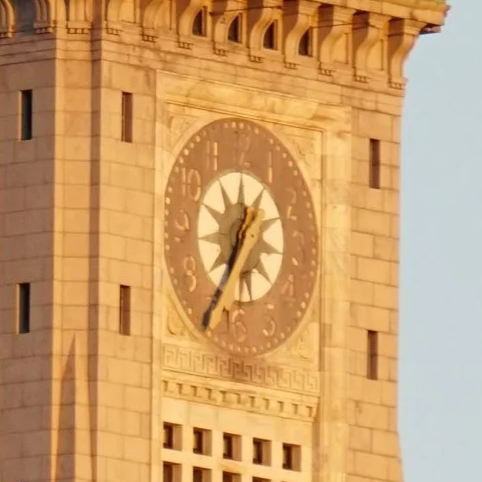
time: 12:34
